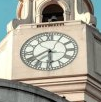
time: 5:40
